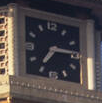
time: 7:14
